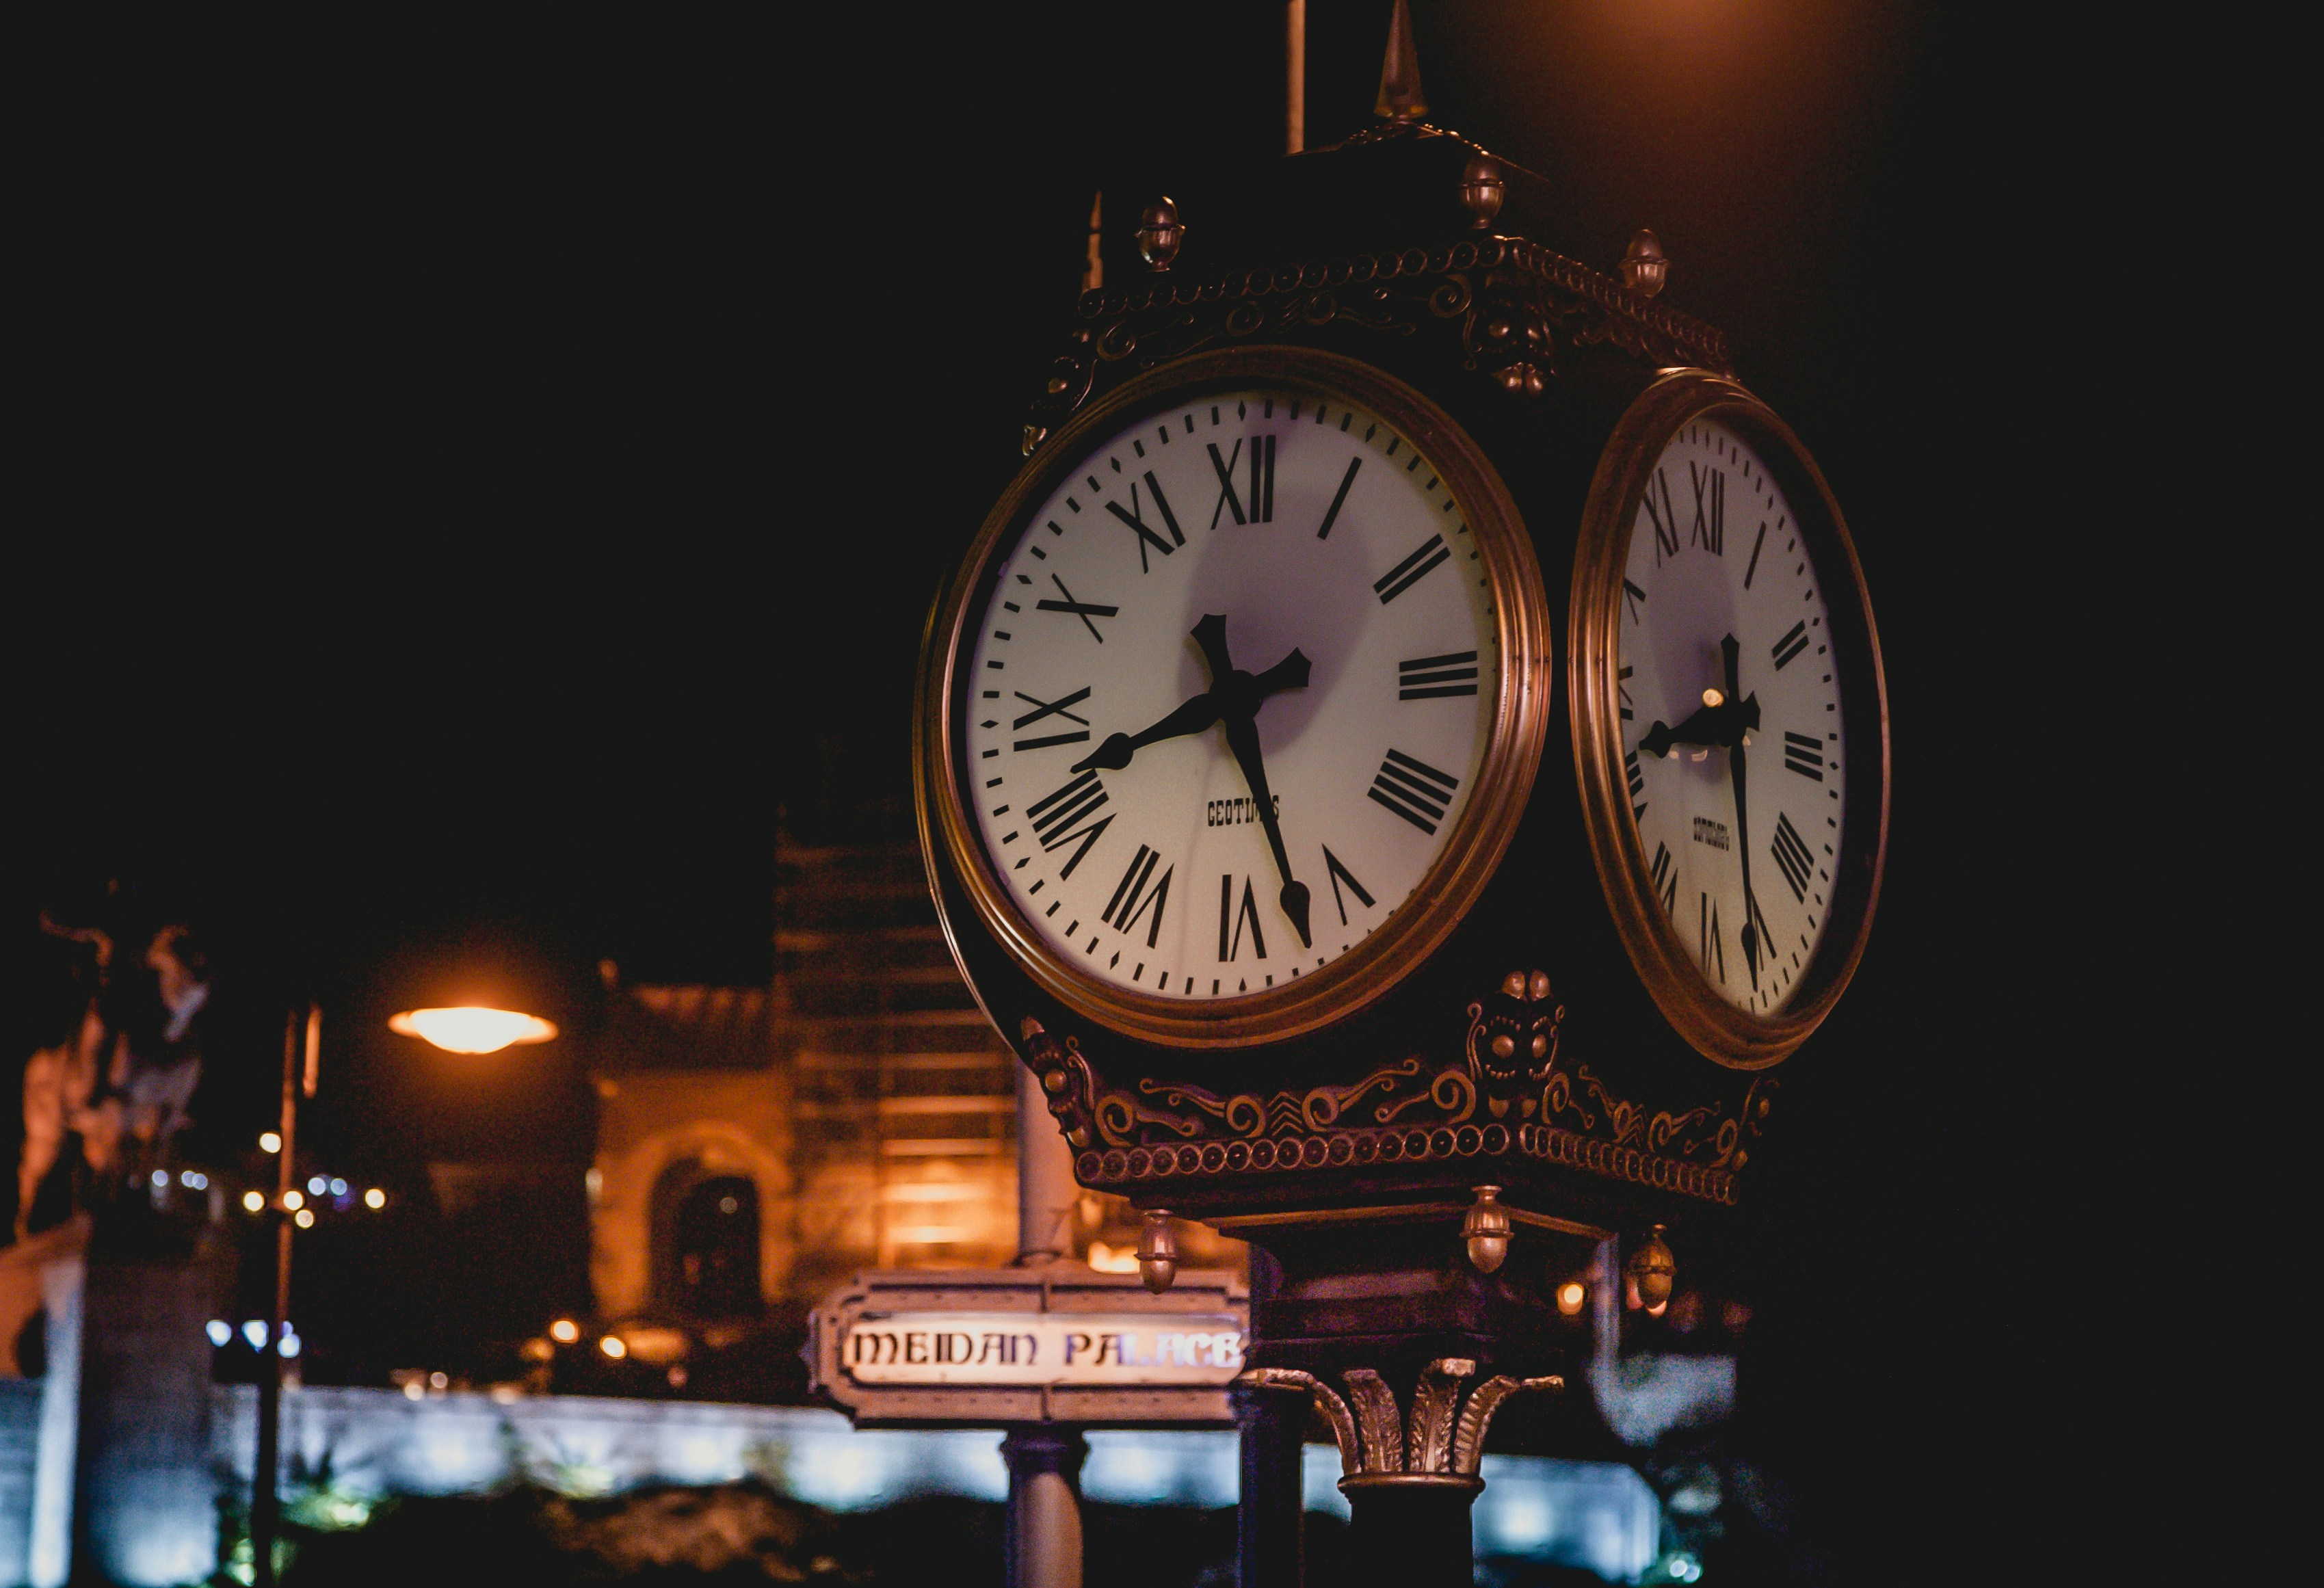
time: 8:26
